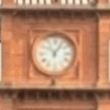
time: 11:05
